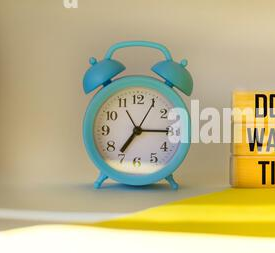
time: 7:15
